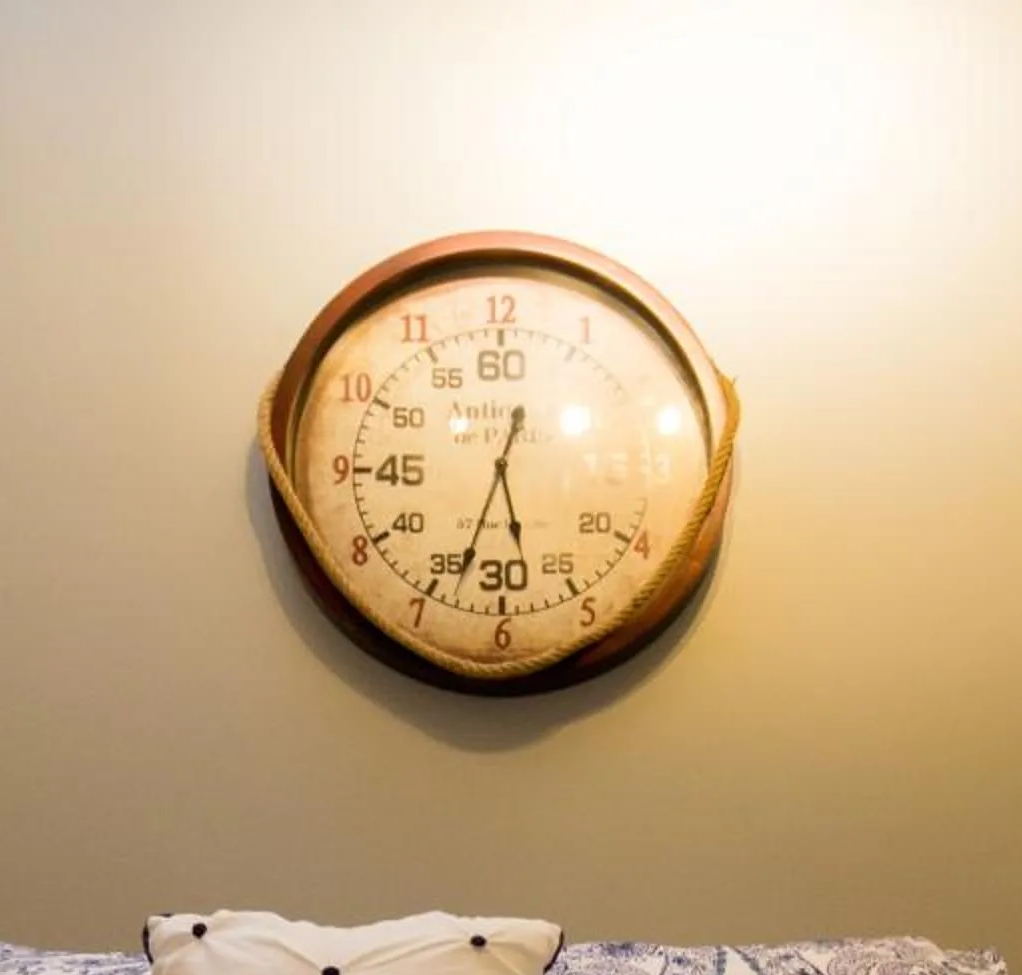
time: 5:33
